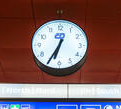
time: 6:34
